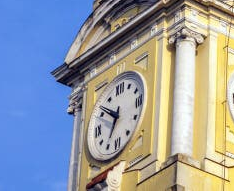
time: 6:50
